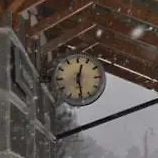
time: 12:28
